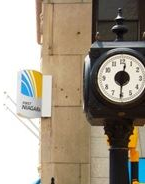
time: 12:30
